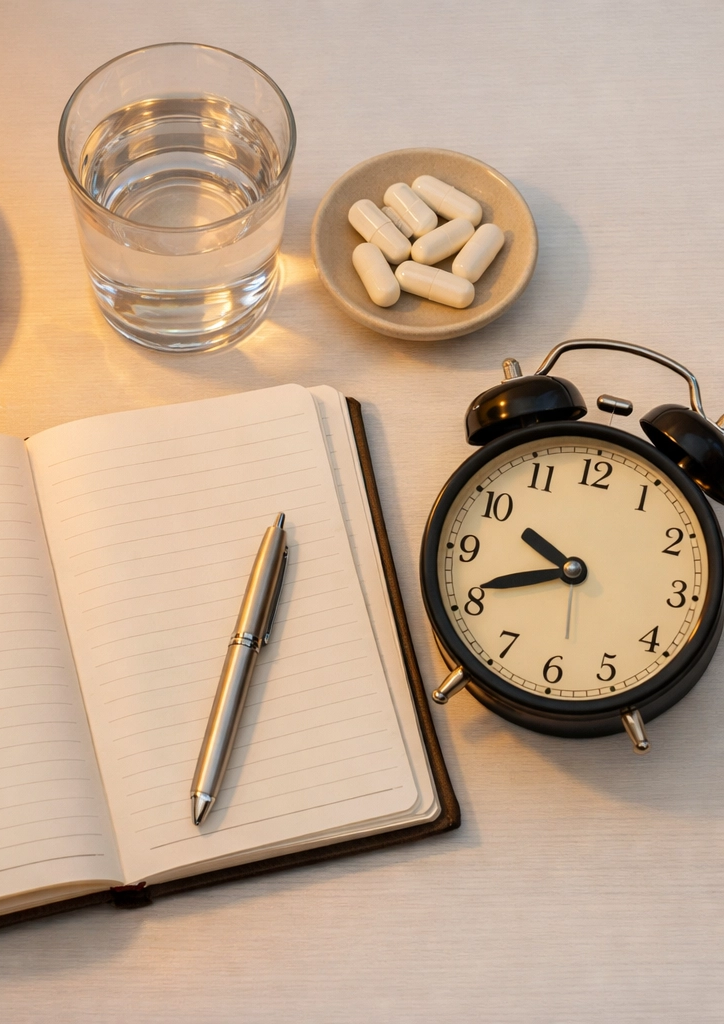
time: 9:41
